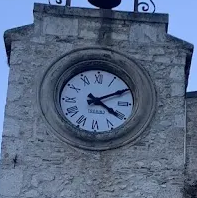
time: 4:10
